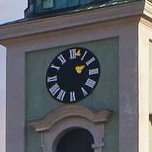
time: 2:09
